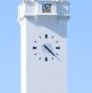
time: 4:22
